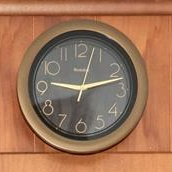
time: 9:12
